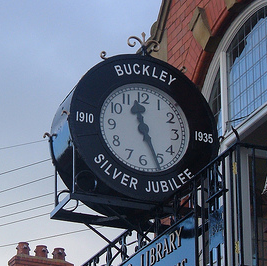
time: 11:25
